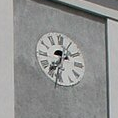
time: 7:32
